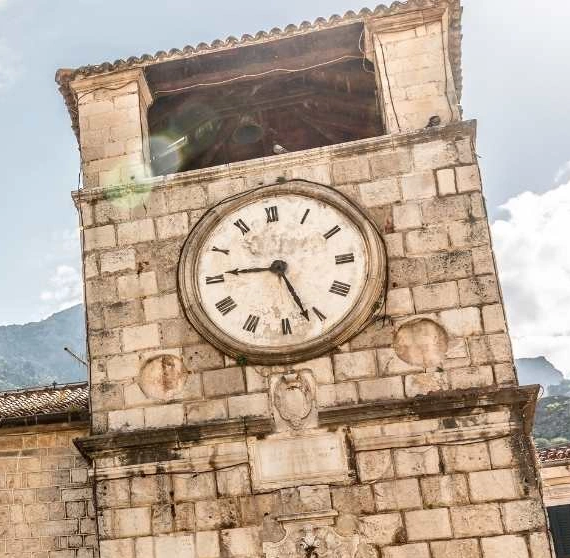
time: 9:26
